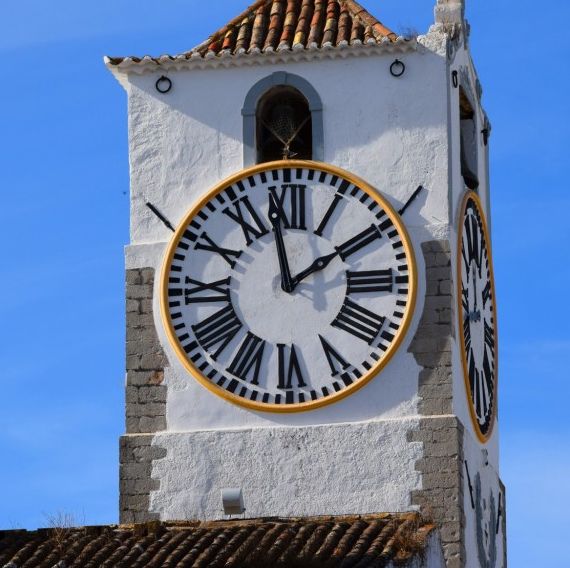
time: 1:58
